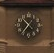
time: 10:36
